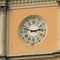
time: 2:48
